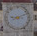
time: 9:11
